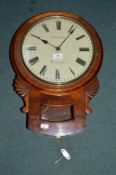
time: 10:06
